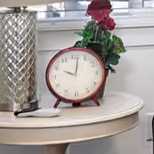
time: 10:01
